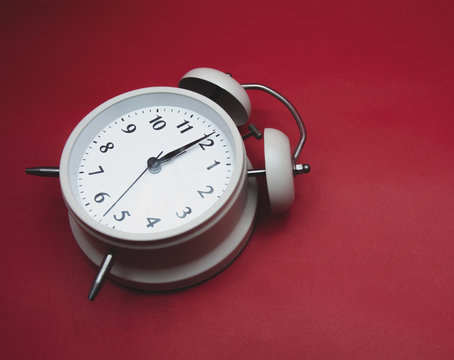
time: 2:09
